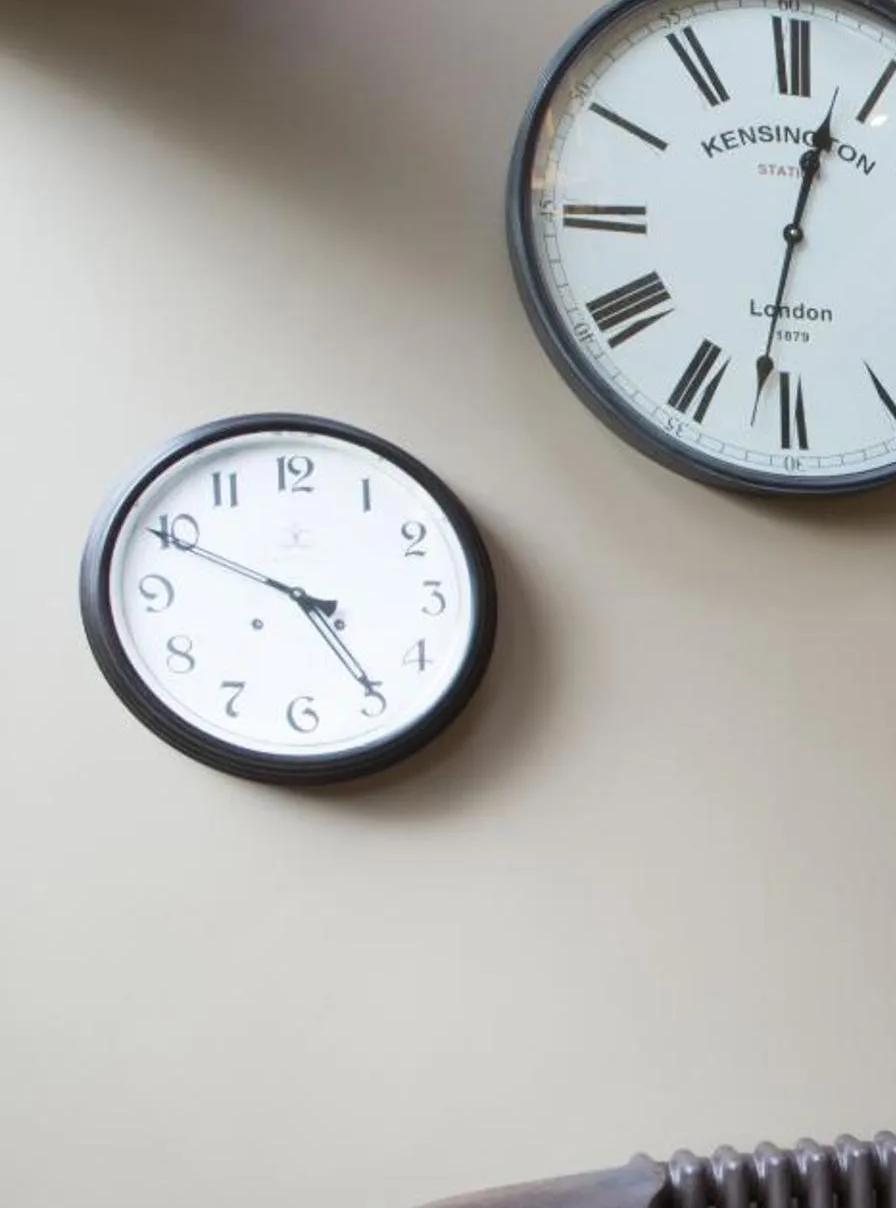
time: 4:49
